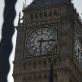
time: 6:15
